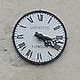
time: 4:17
